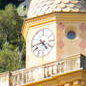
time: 4:42
